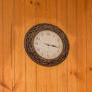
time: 3:17
